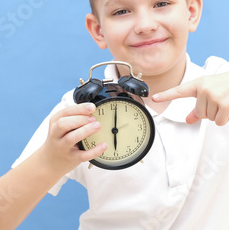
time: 6:01
